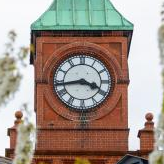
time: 3:43
